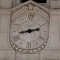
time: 2:43
